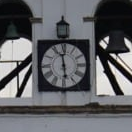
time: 5:58
